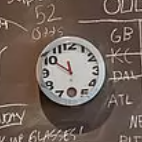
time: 11:50
